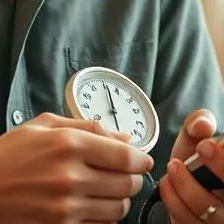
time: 6:01
